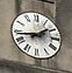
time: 1:43
